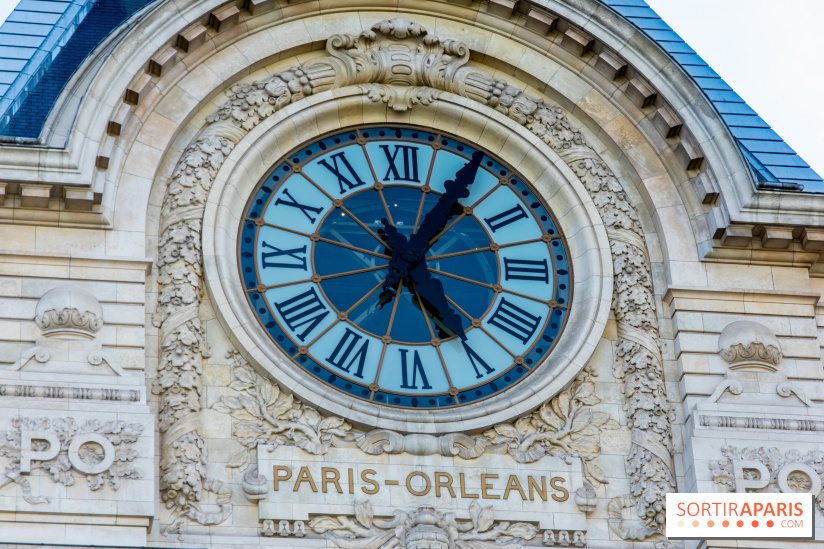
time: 5:05
